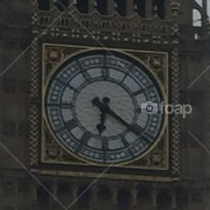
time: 6:21
